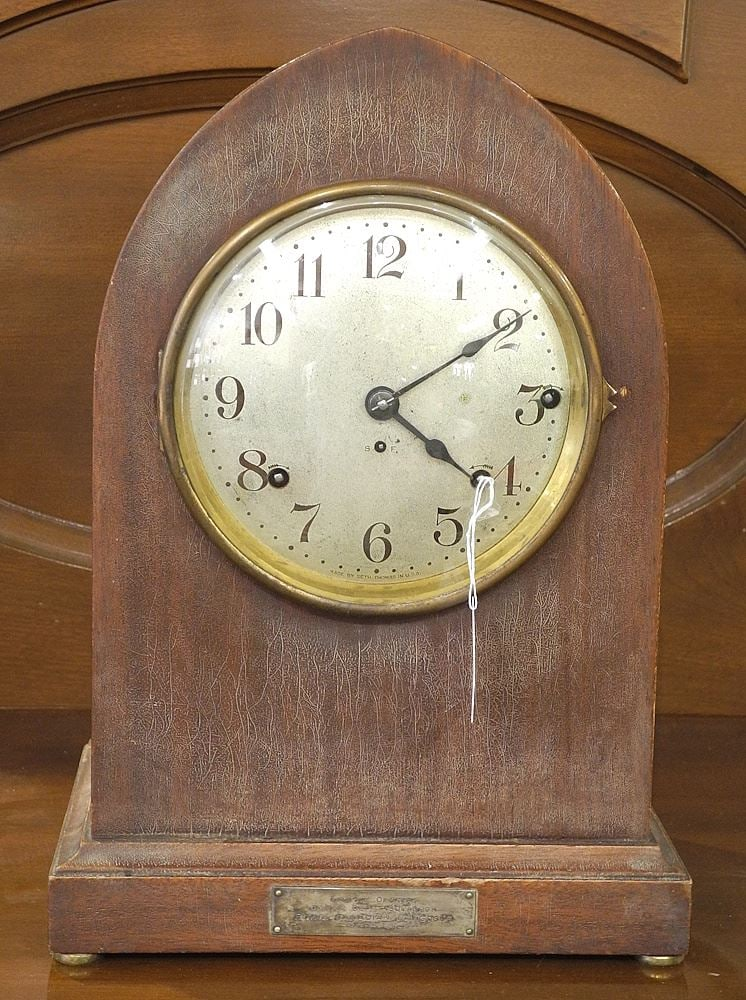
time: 4:09
